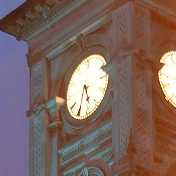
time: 5:34
